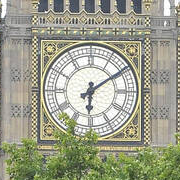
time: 6:09
